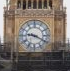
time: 9:19
